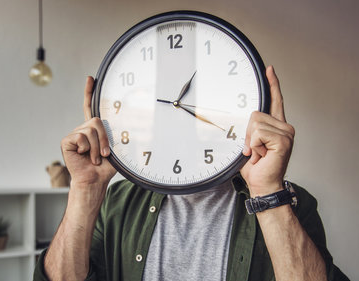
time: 1:20
